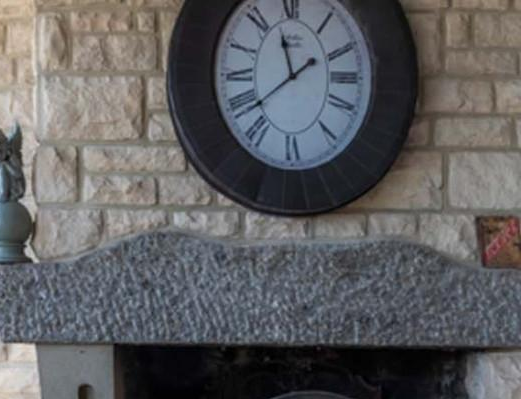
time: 11:38
